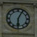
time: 6:04
